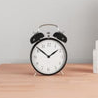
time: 1:51
